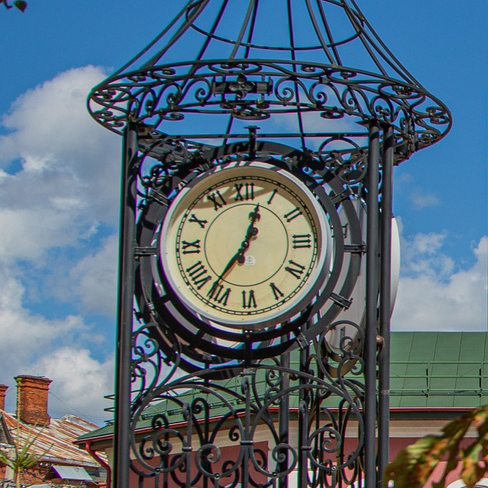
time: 12:36
